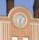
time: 6:06
